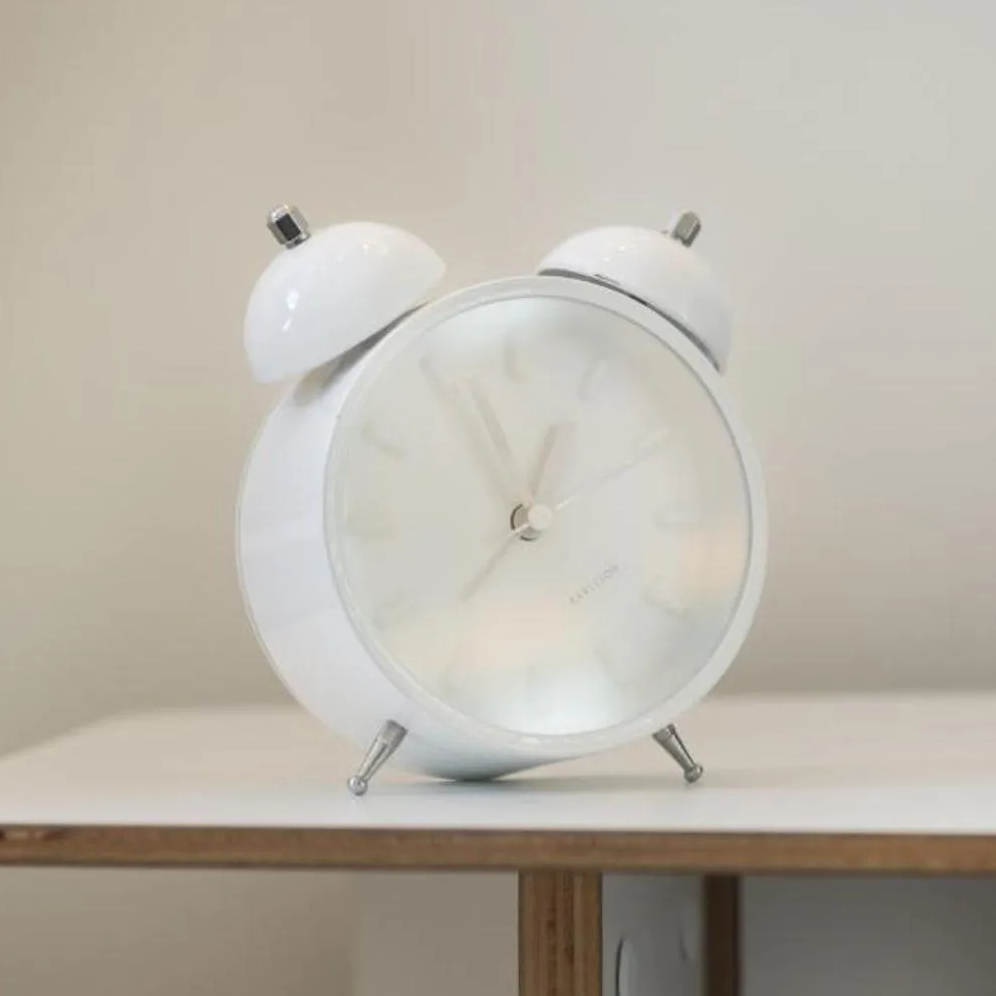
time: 12:56
